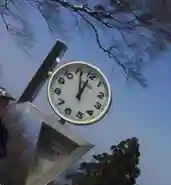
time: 1:00
